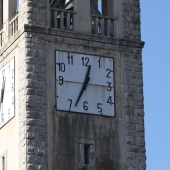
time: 12:33
